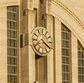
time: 4:21
